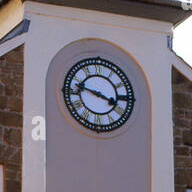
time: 3:47
